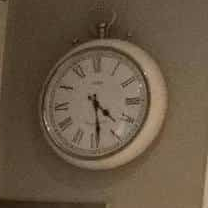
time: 4:29
